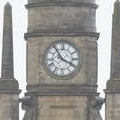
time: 3:54
